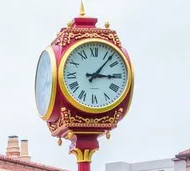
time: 3:06
